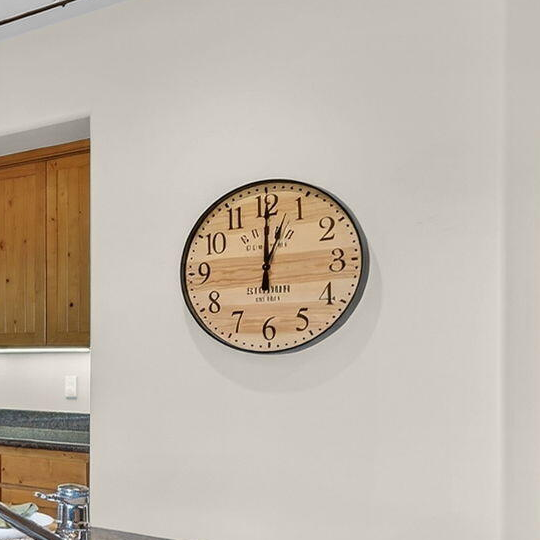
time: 1:00
